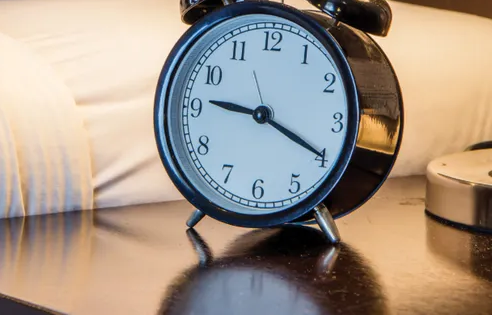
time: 9:20
